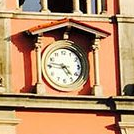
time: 4:46
